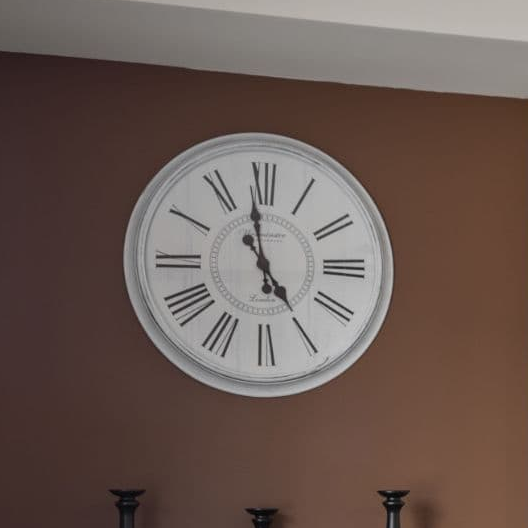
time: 4:58
